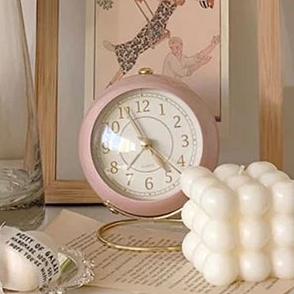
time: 4:55
